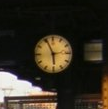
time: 5:55
